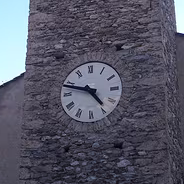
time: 4:47
